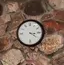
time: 3:21
